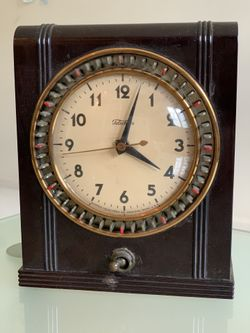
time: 4:02
